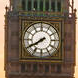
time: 7:40
